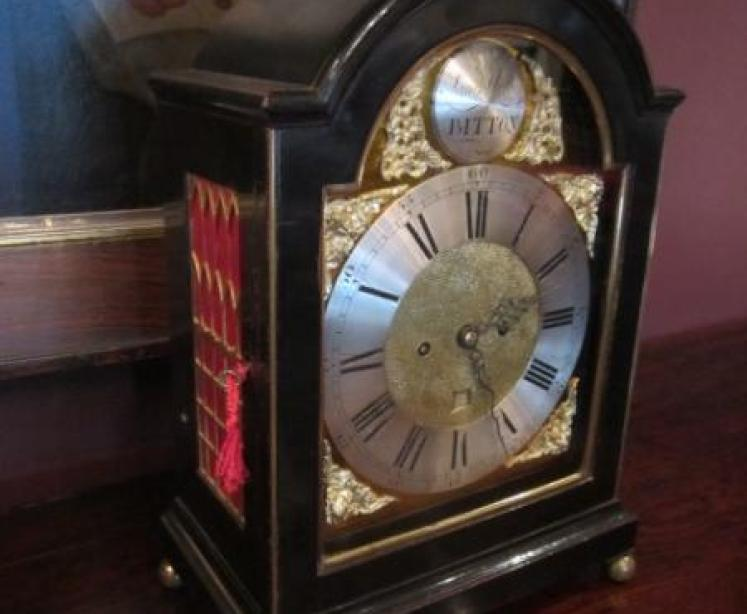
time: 5:14
